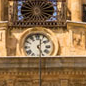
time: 5:03
